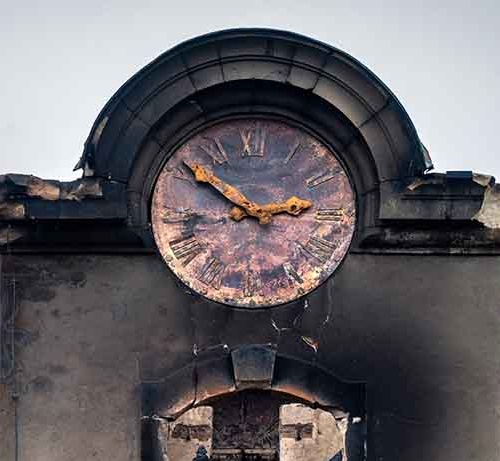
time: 2:50
